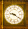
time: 9:20
